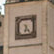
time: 6:23
